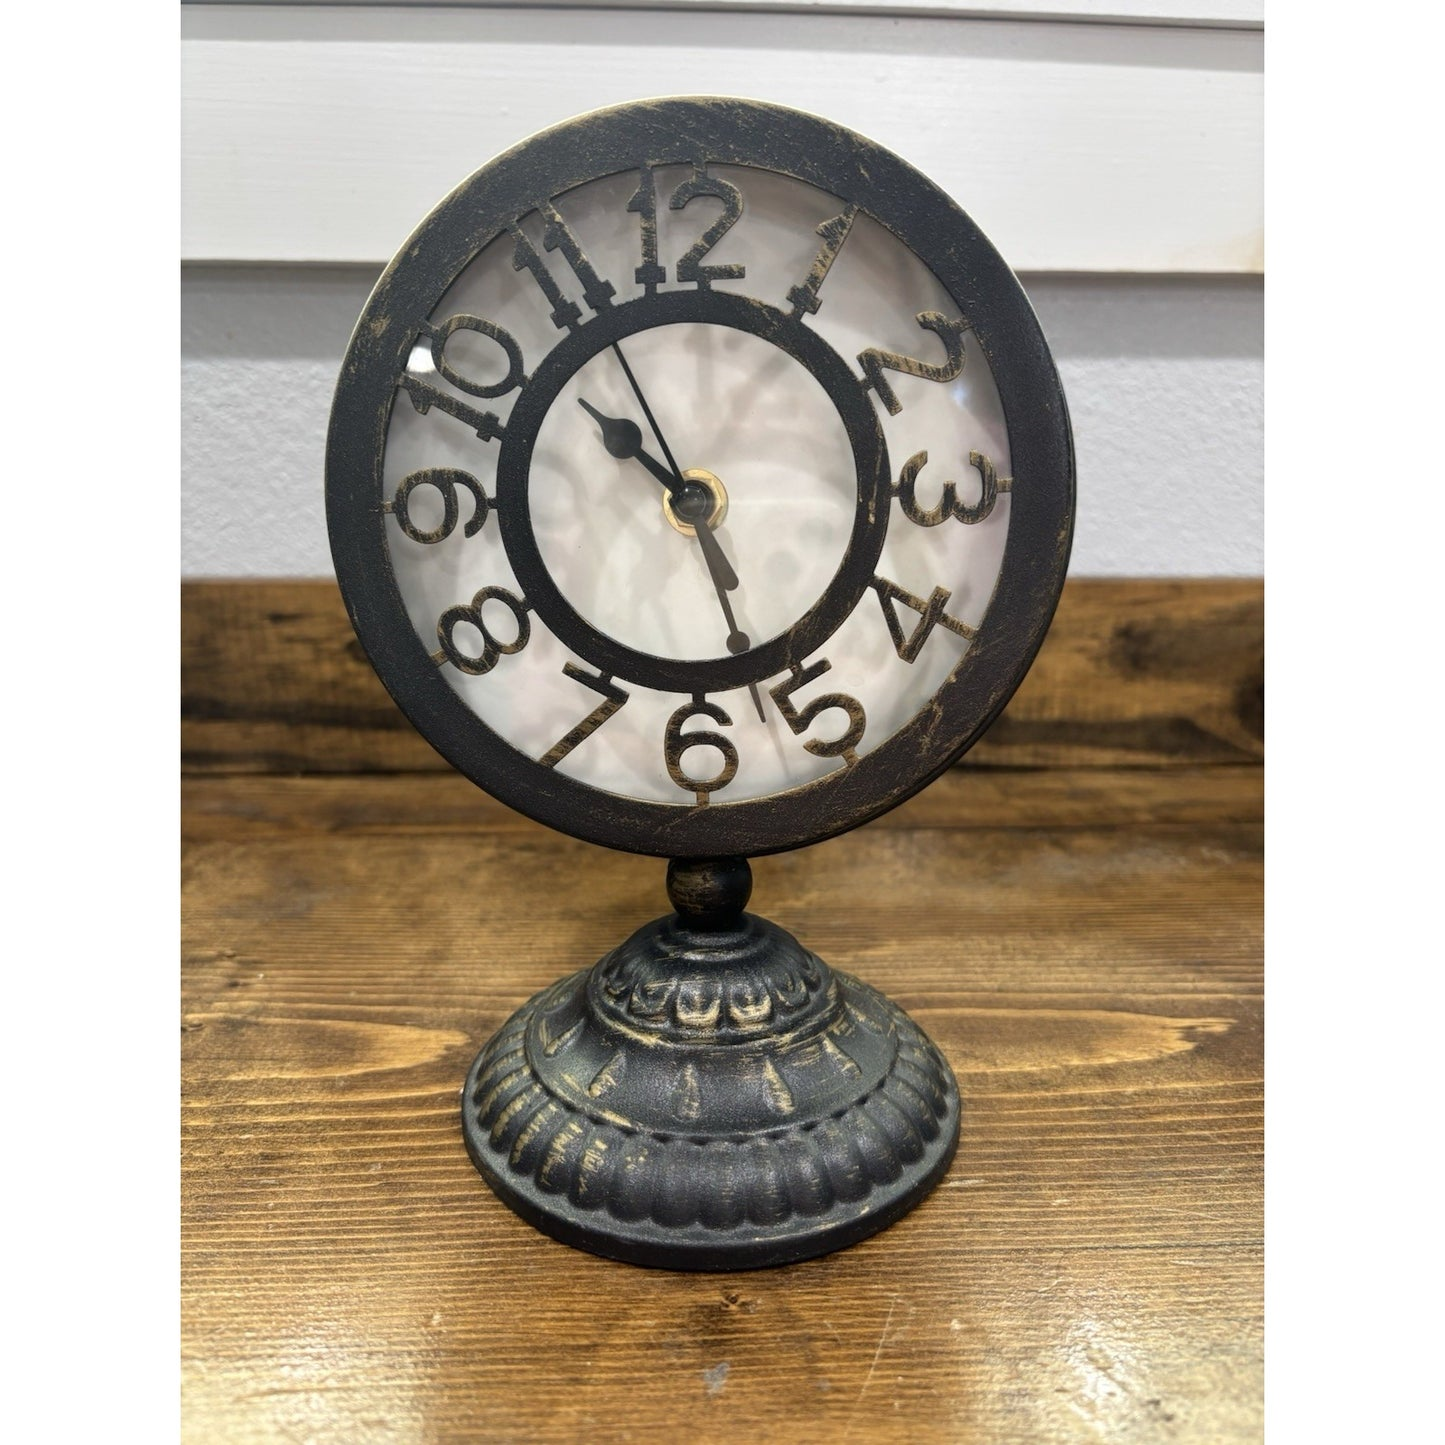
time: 10:26
